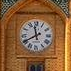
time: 11:40
